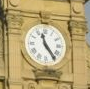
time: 11:24
